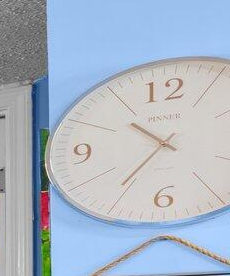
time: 10:36
